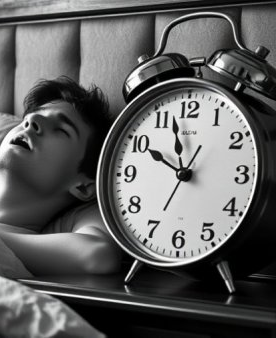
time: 9:57
